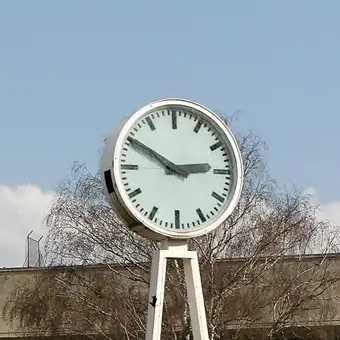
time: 2:50
